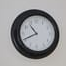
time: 10:41
